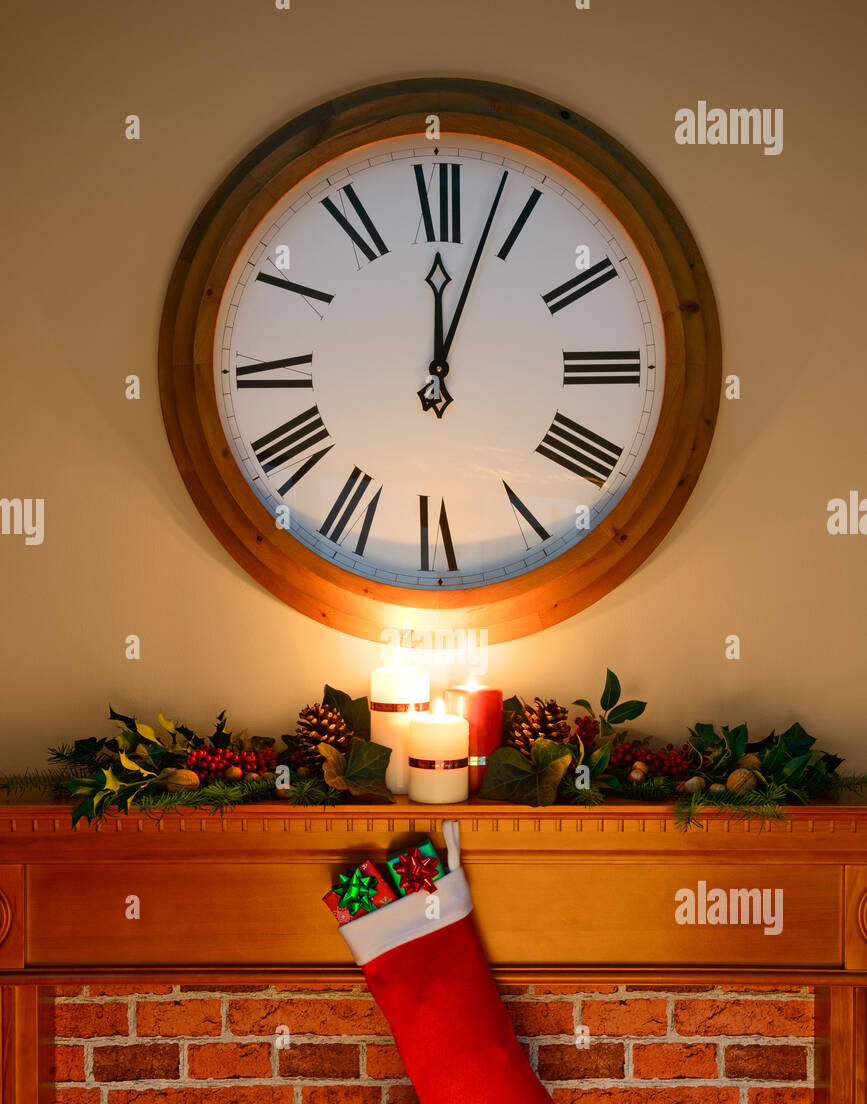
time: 12:03
